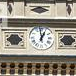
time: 12:59
